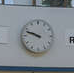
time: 9:48
